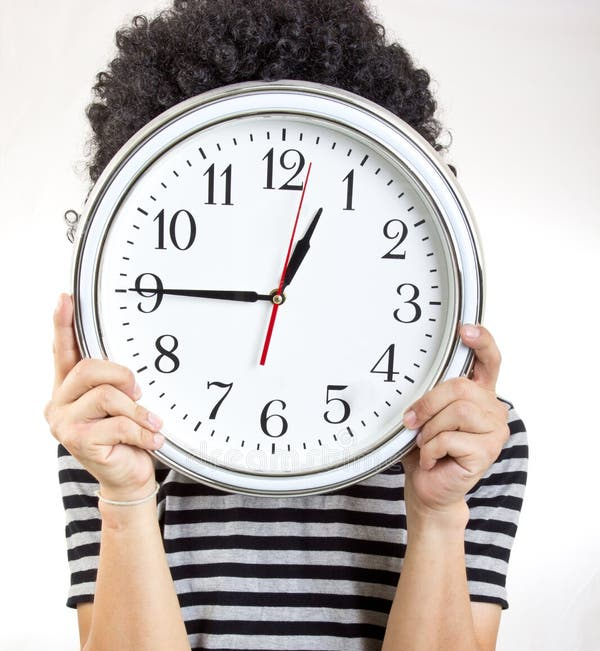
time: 12:45
